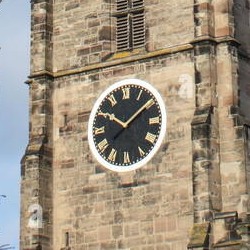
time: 10:08
